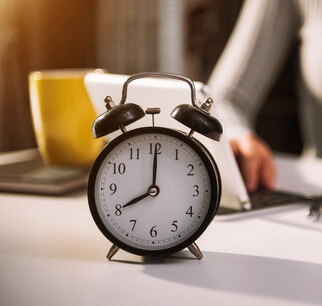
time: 8:00
